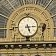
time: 5:14
